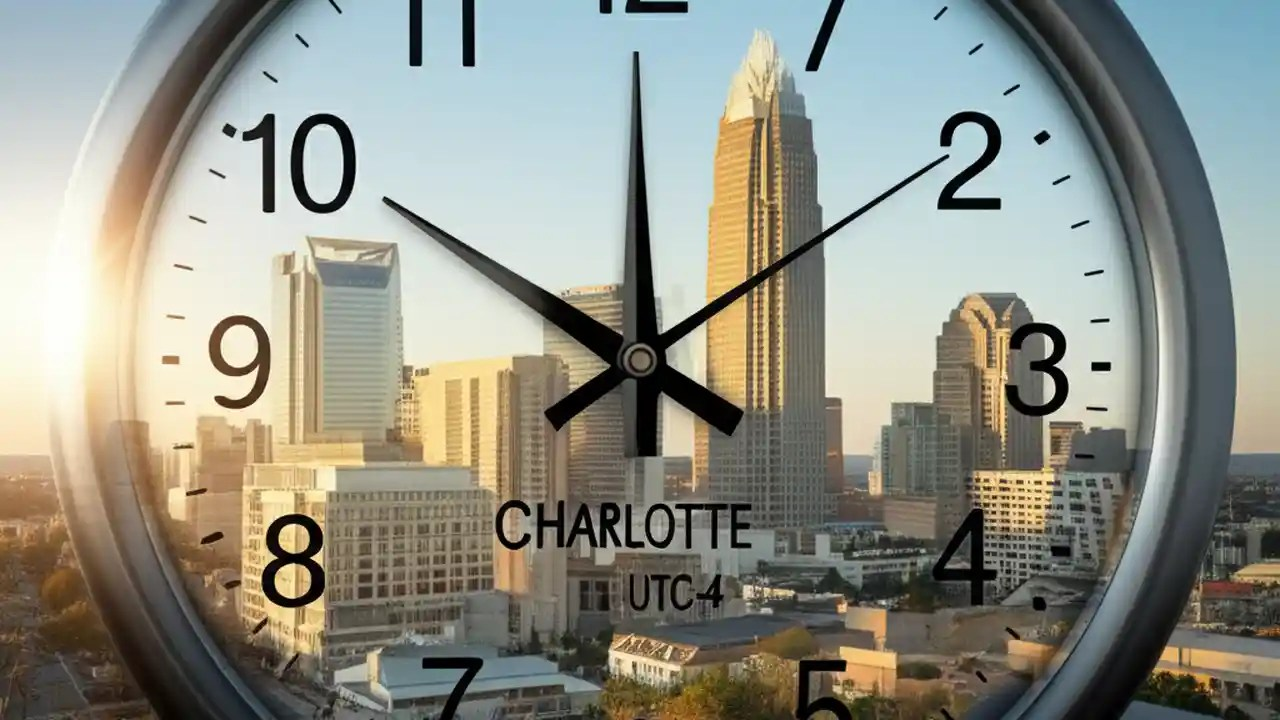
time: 10:00
